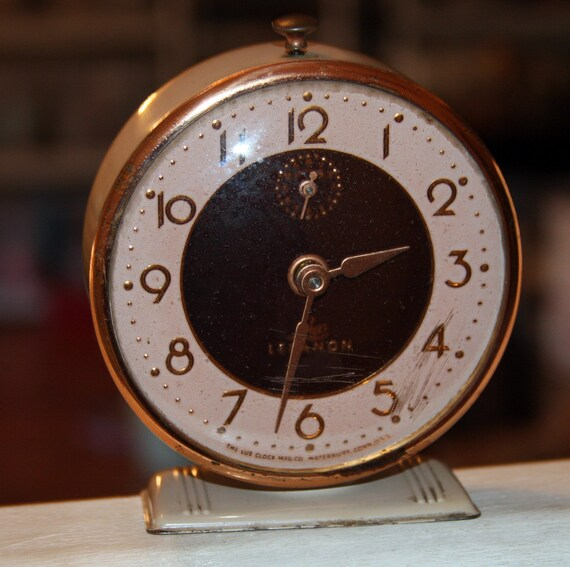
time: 2:32
